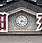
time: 7:15
